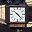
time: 10:22
